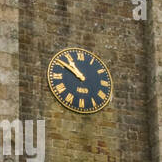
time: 10:50
